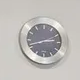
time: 2:42
